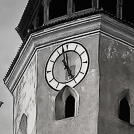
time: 4:57
